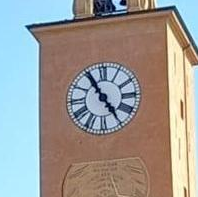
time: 4:54
